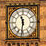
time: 11:31
